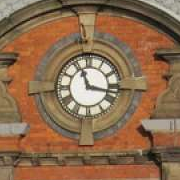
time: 11:16
